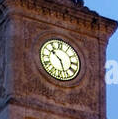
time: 10:26
